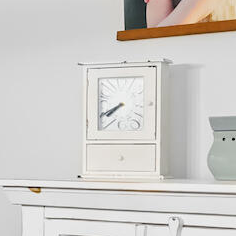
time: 7:40
